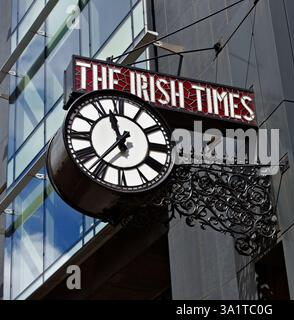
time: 11:36
